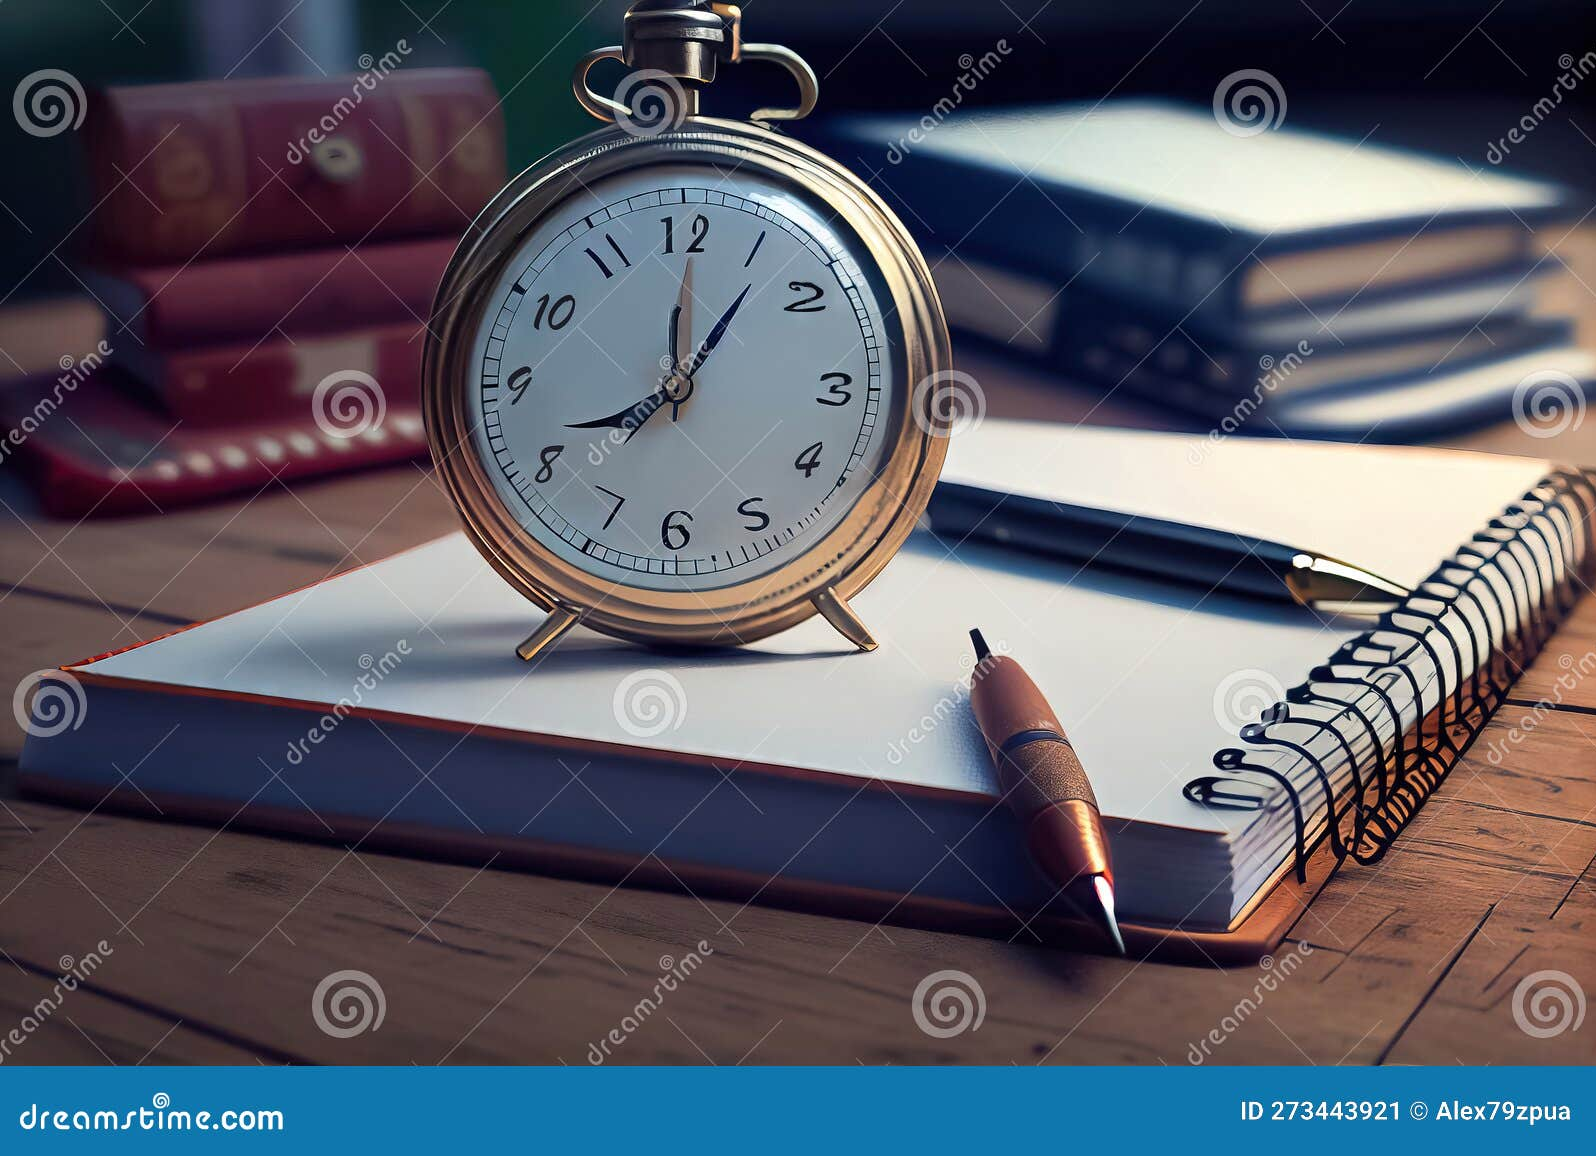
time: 12:06
